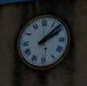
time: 2:08
